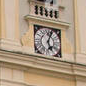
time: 5:03
